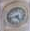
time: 4:42
